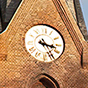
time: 3:24
